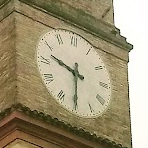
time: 9:30
